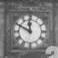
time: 11:49
